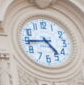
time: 4:44
